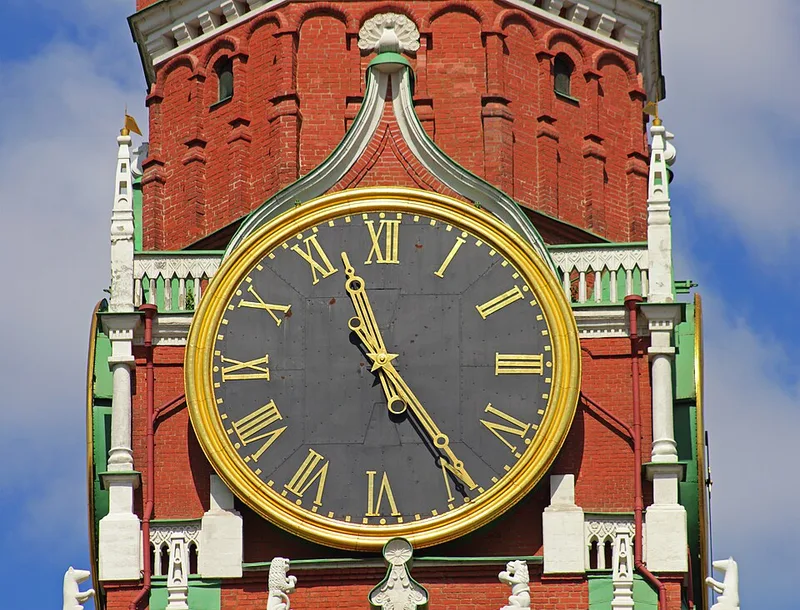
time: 11:24
